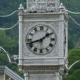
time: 1:42
